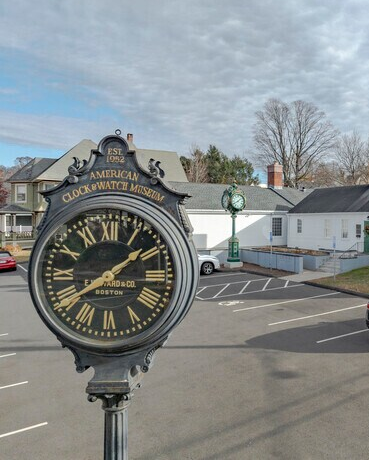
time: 1:39
